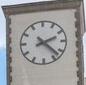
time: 2:22
